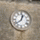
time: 12:38
